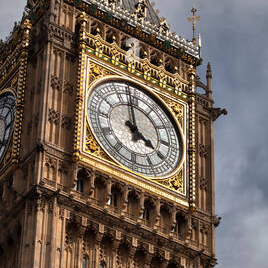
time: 3:58
